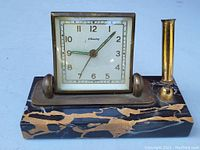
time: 9:07
